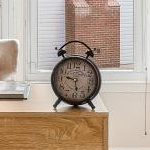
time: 9:28
